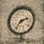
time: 2:35
